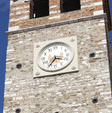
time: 3:35
